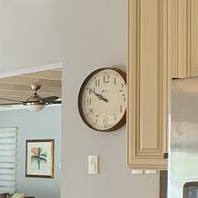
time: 9:50
